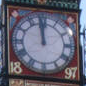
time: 11:58
